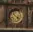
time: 3:52
